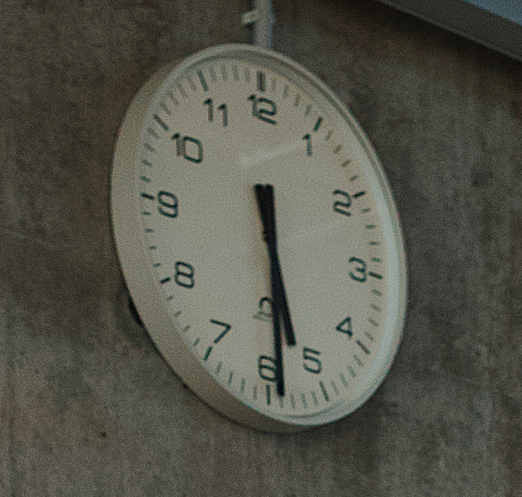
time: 5:29
